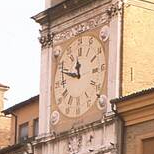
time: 11:48
